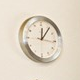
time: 12:06
